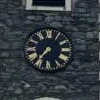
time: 7:36
